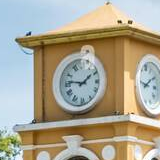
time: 1:46
